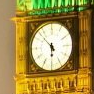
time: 5:52
